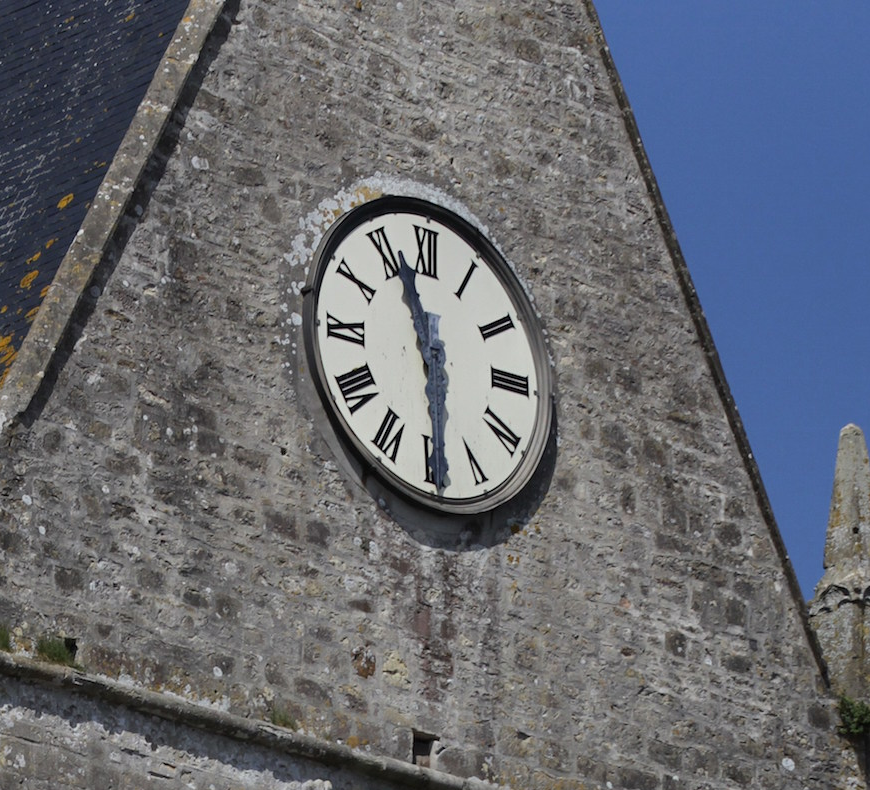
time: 11:29
